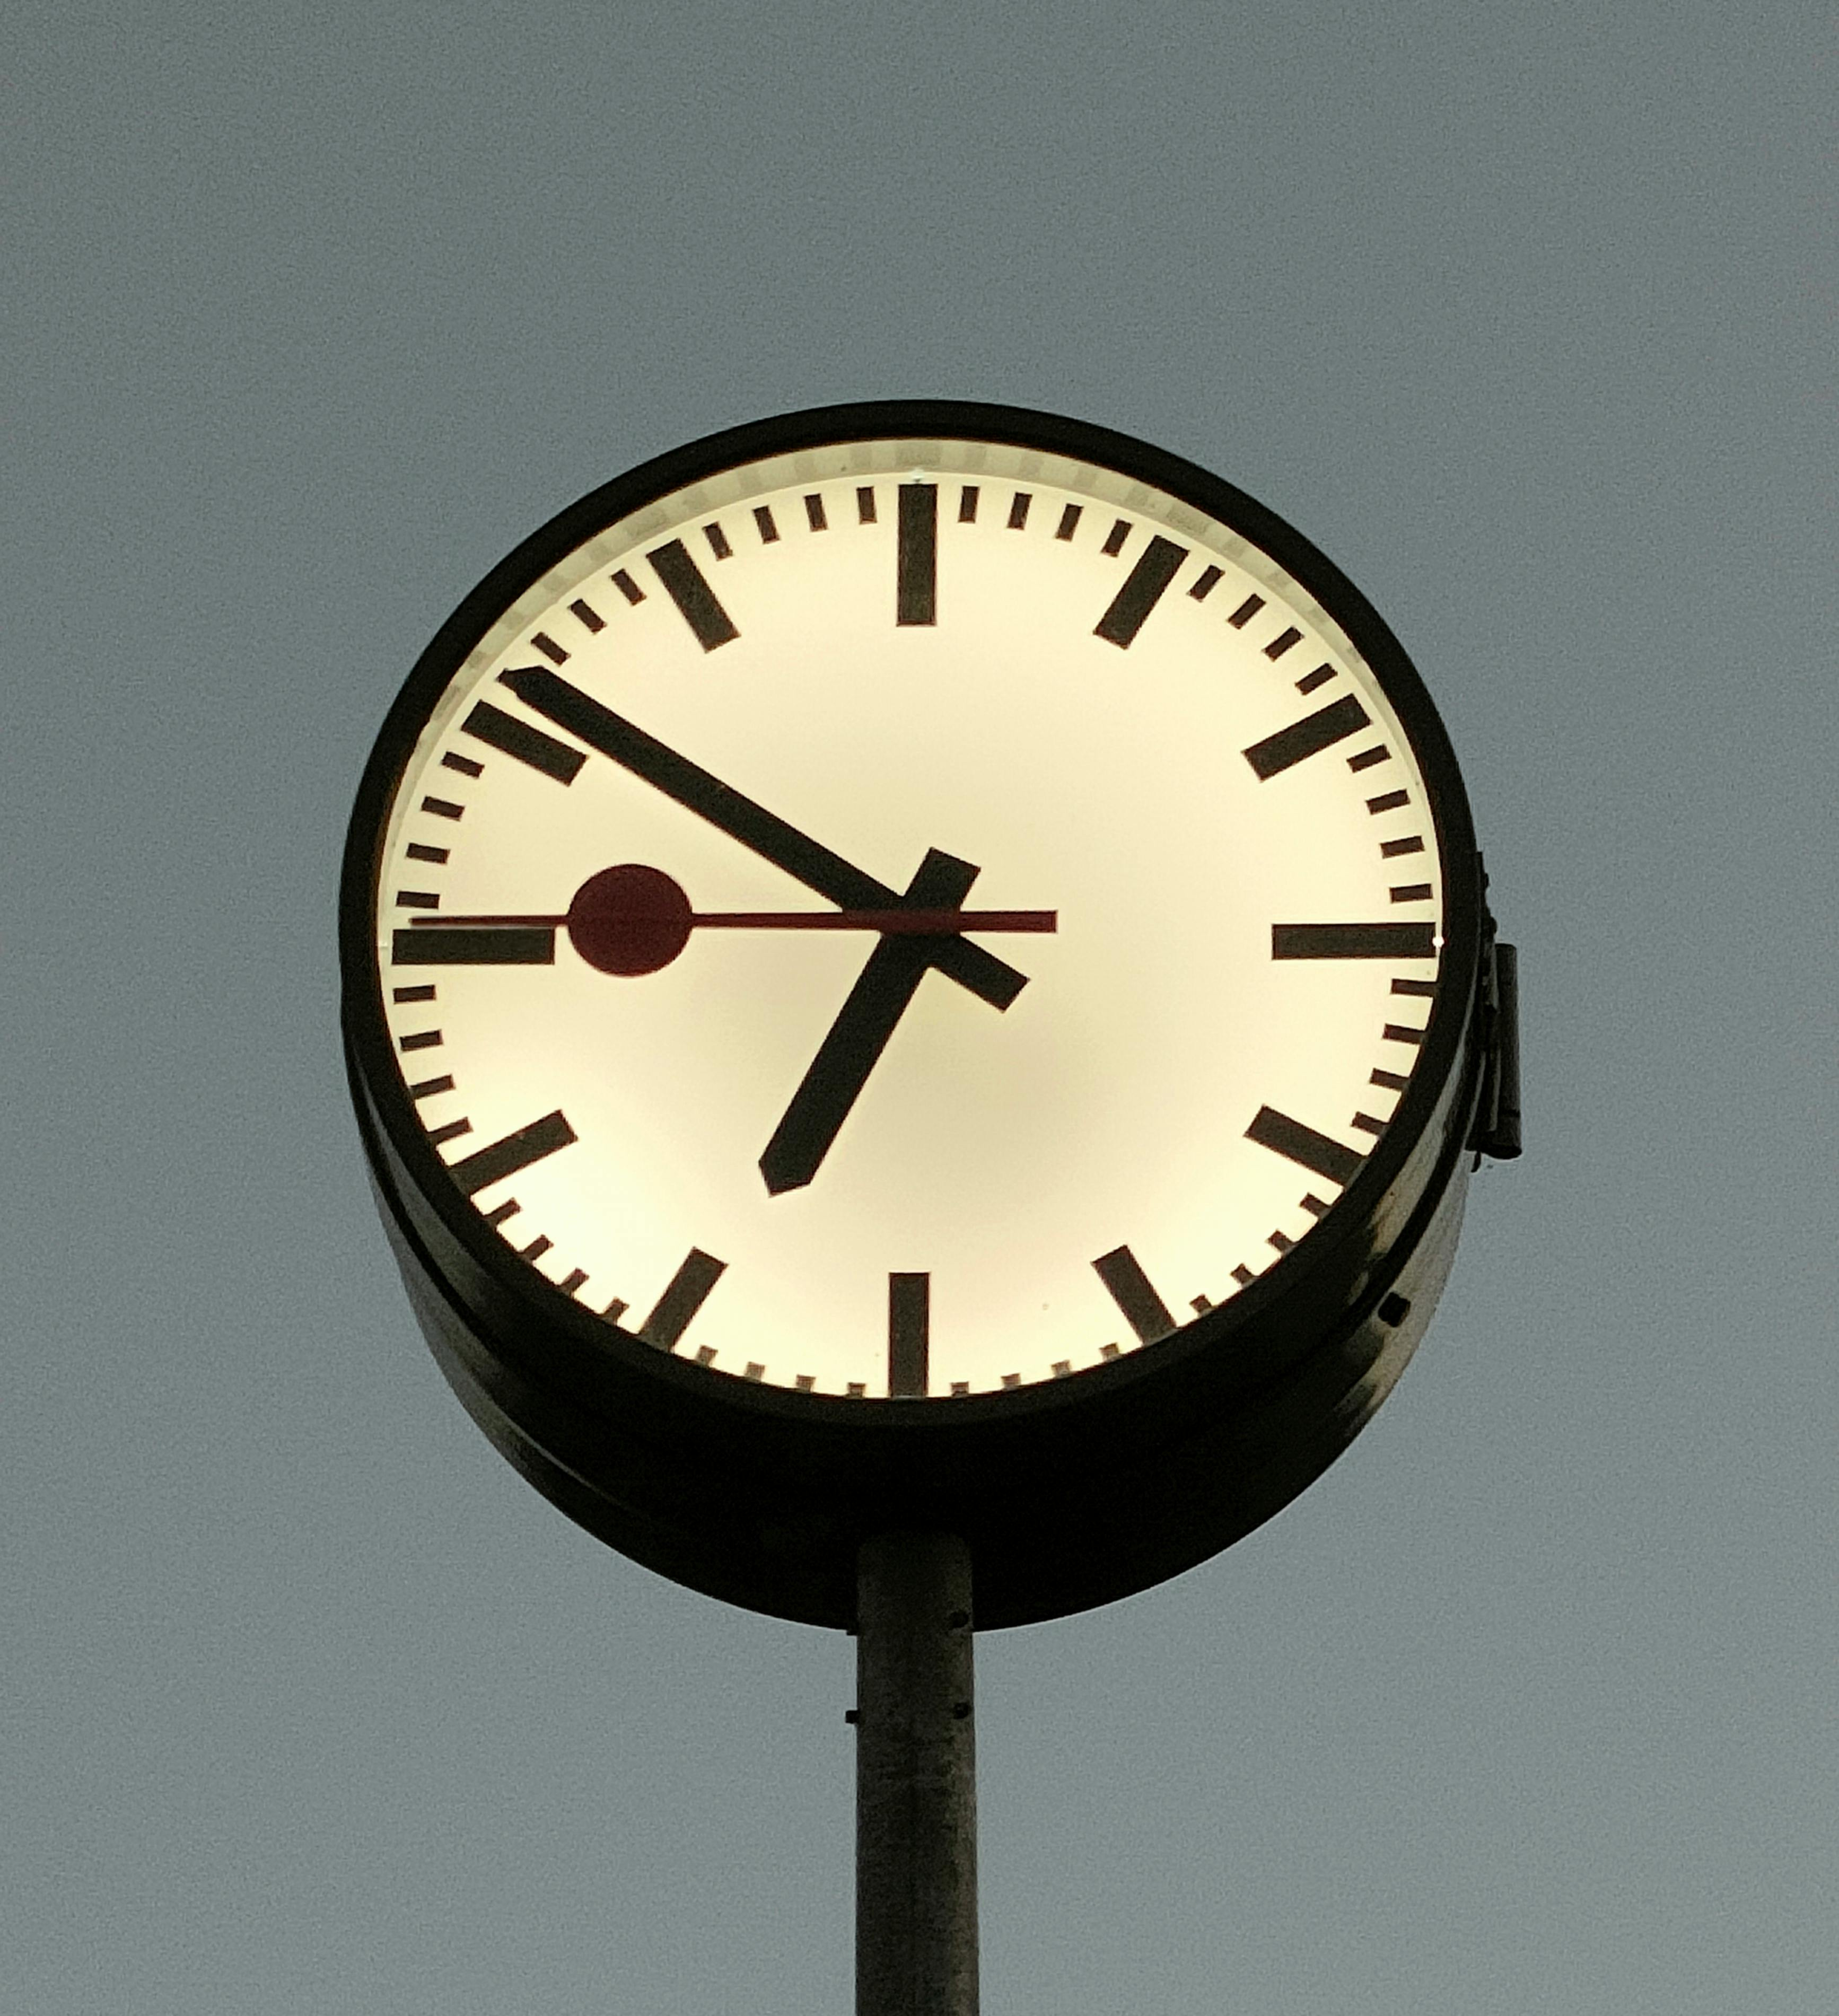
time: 6:51
